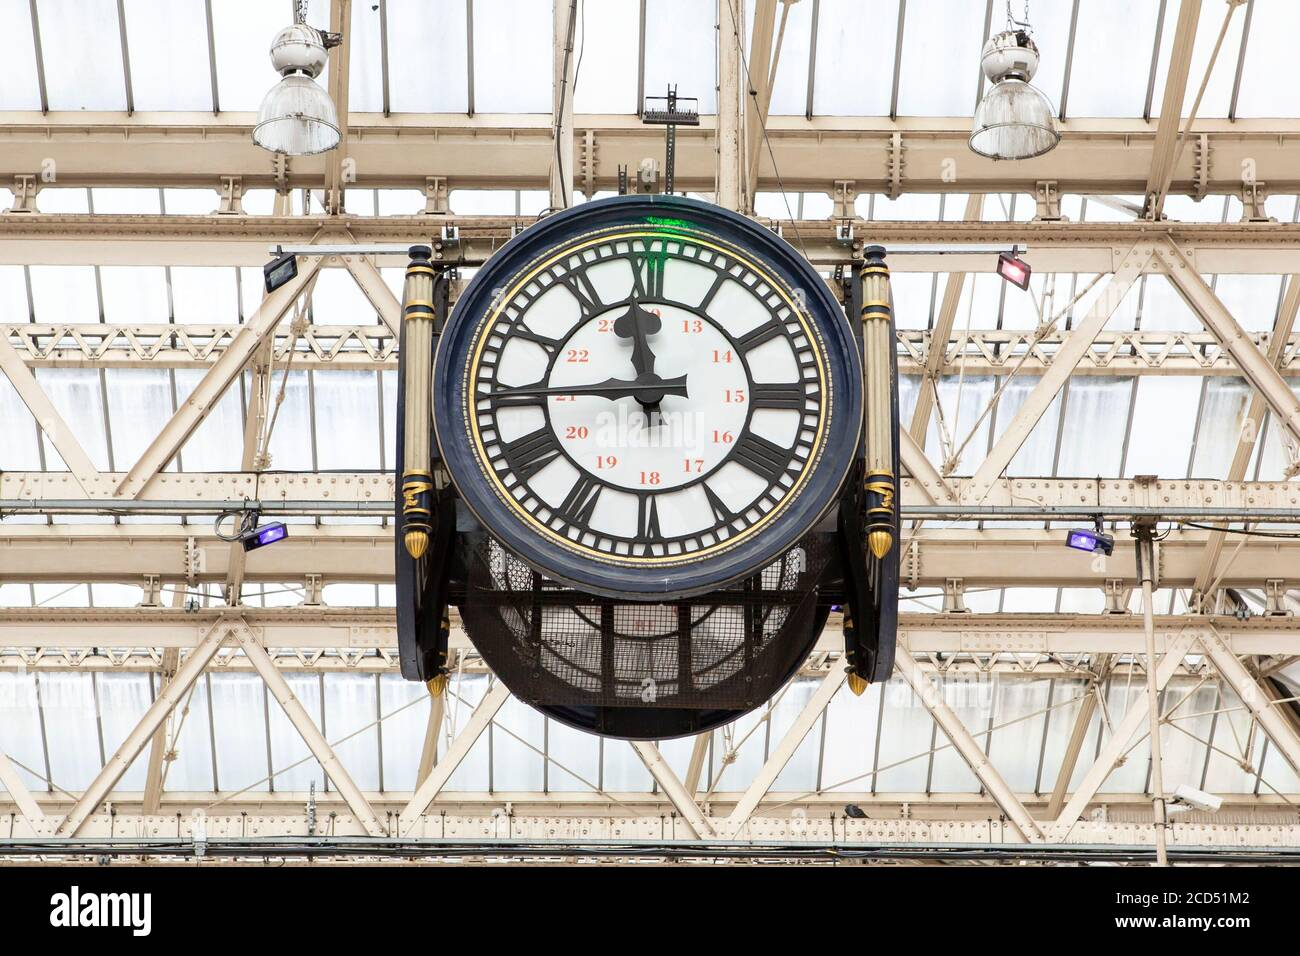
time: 11:44
